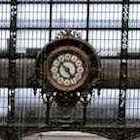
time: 4:53
